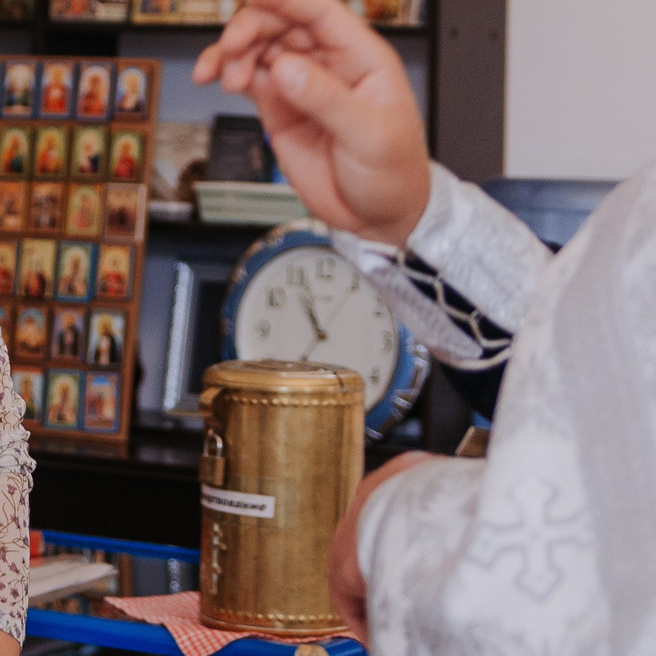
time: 10:56
